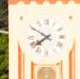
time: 7:49
